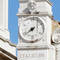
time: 7:38
